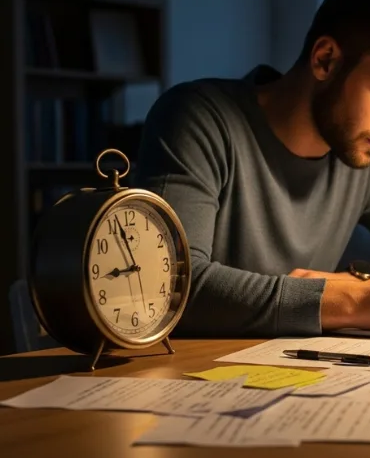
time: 8:56
